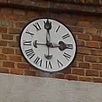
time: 2:59
